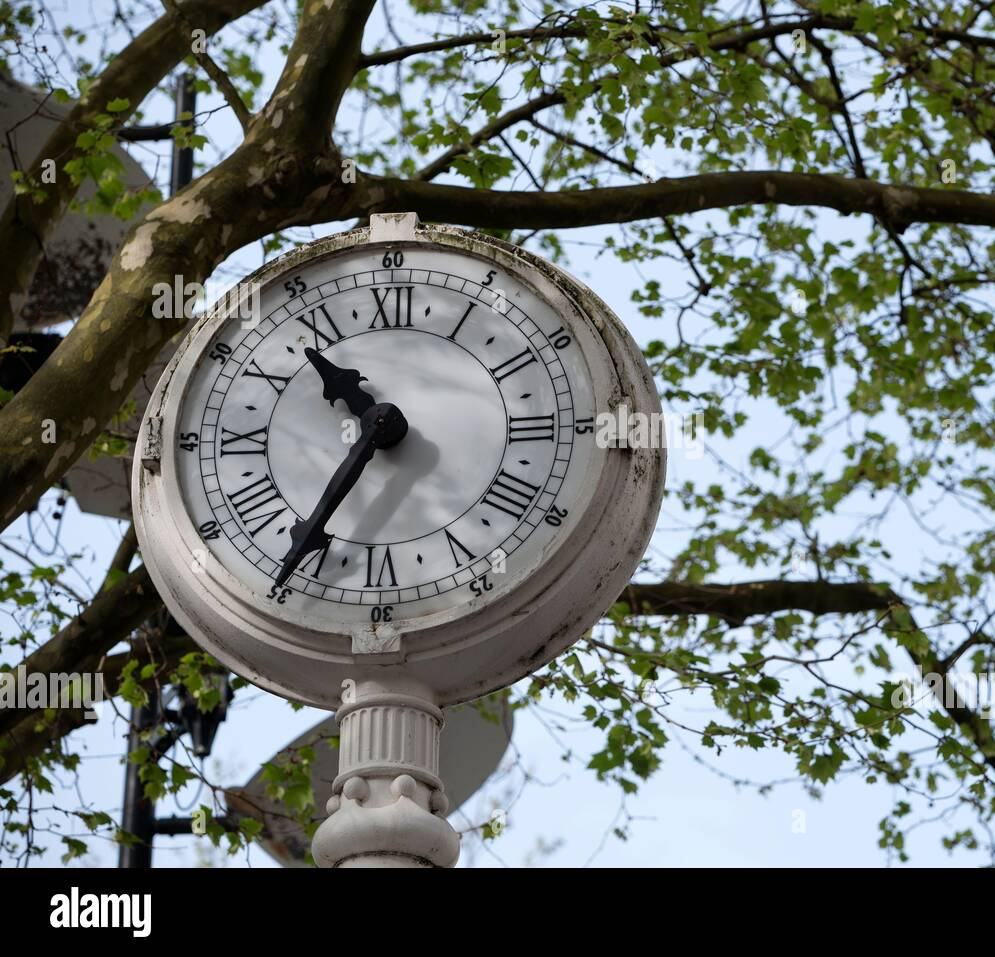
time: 10:35
